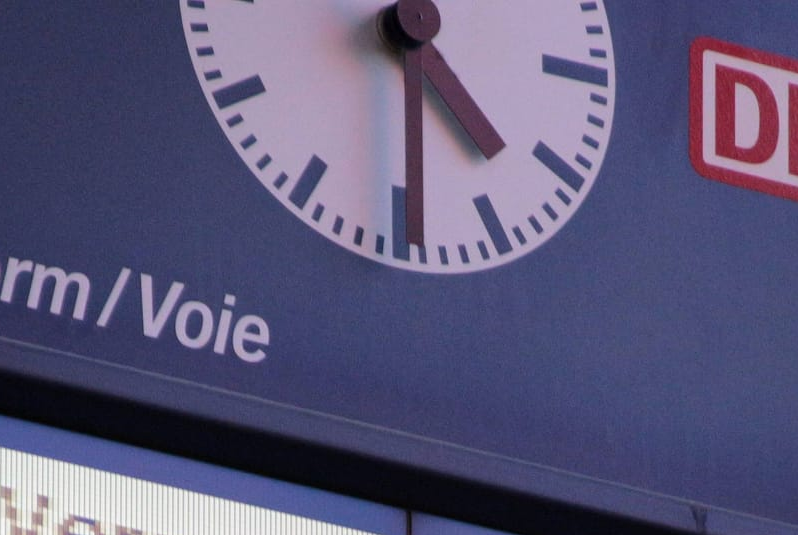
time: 4:29
